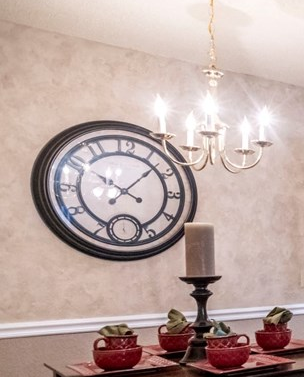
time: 10:07
